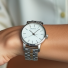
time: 10:07
